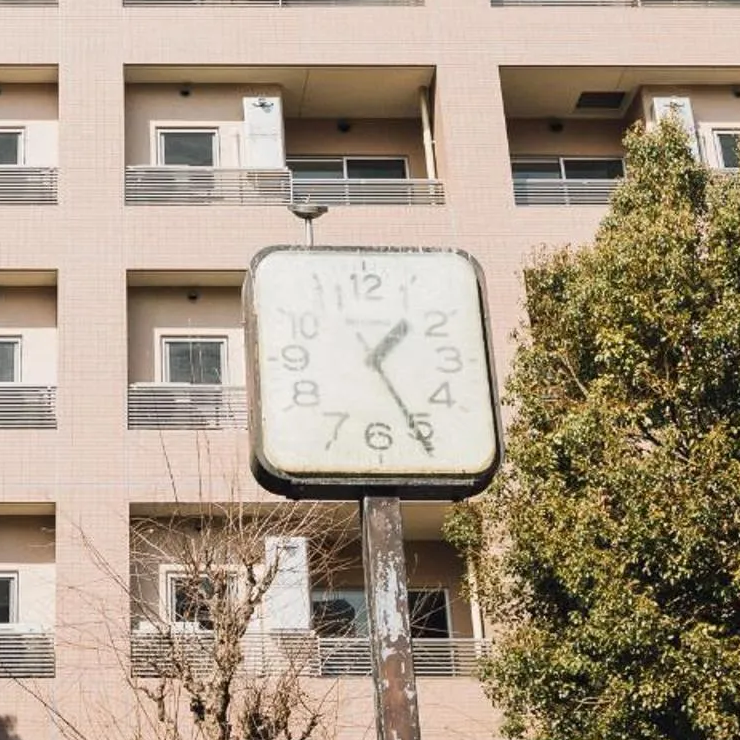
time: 1:25
